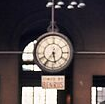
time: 5:35
